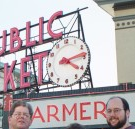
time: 4:13
